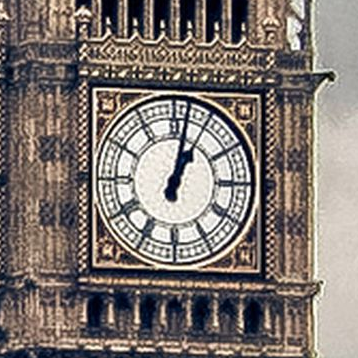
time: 1:02
